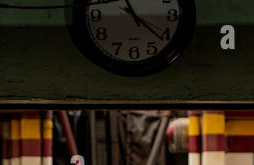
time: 11:21
